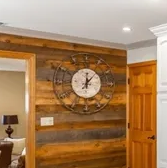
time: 12:06
